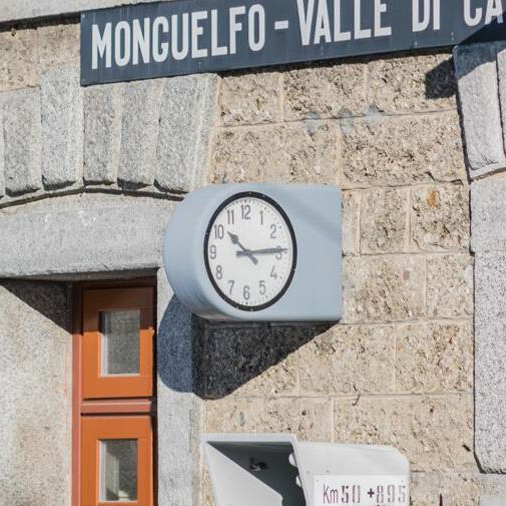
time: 10:14
